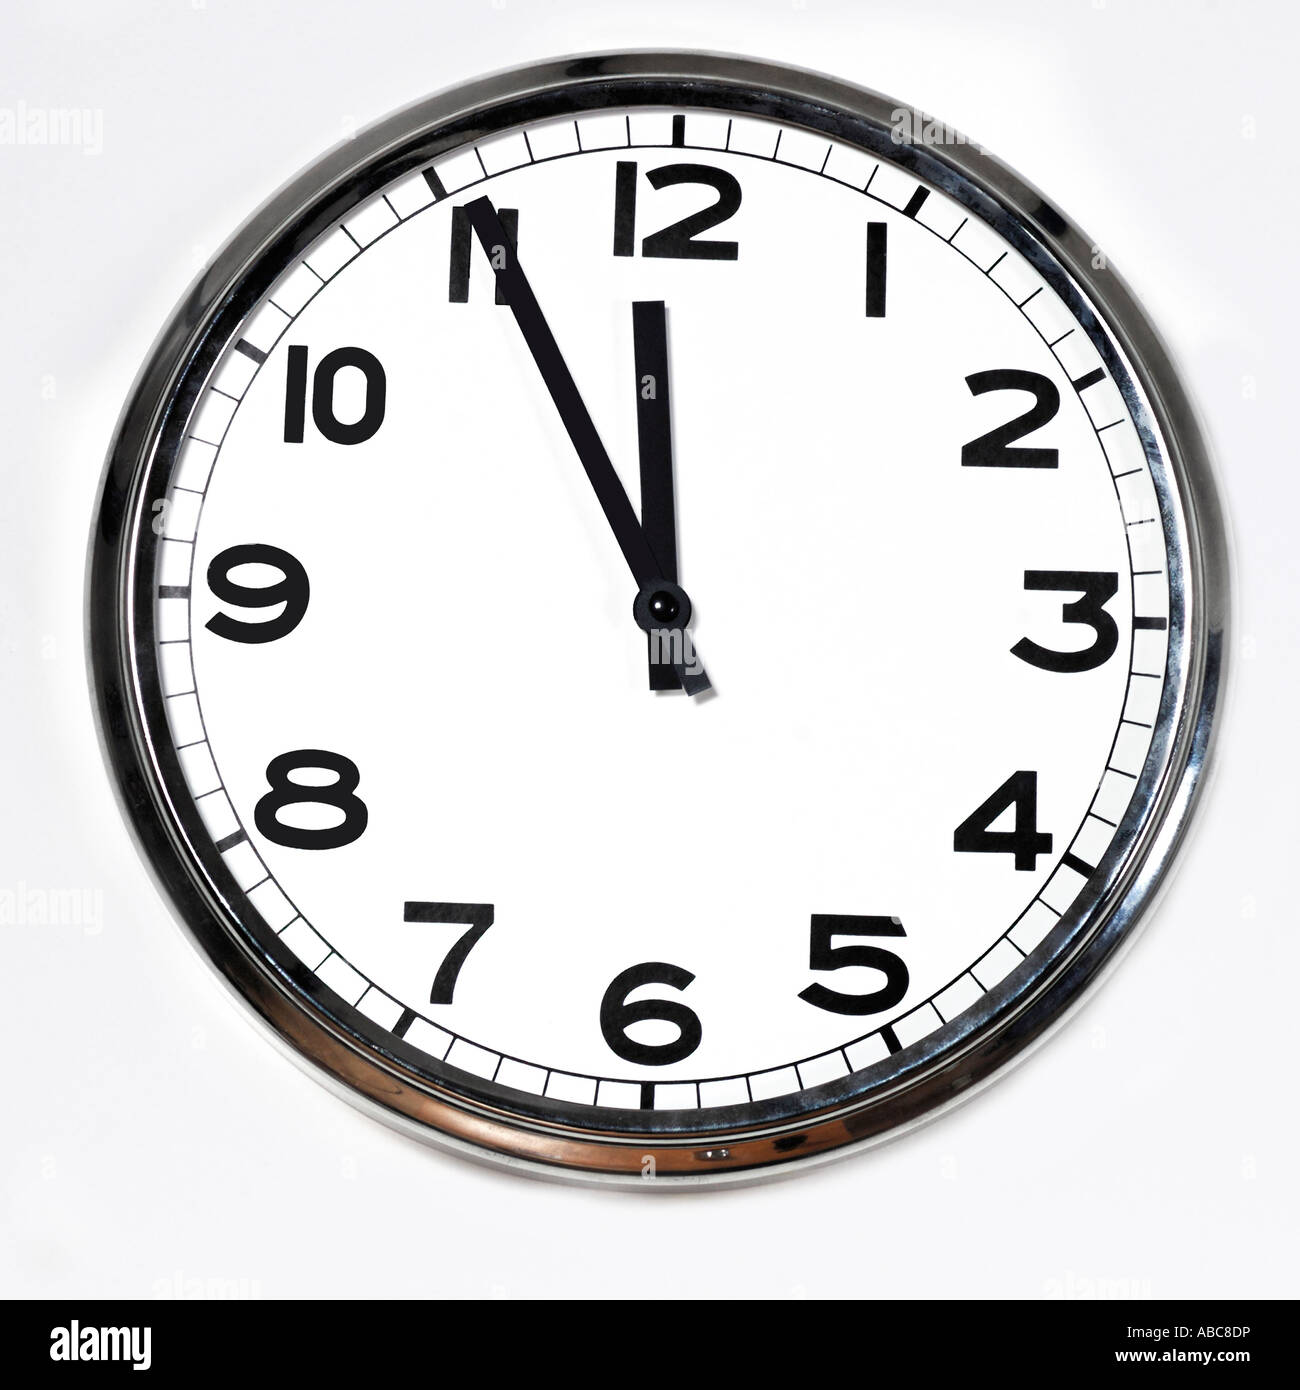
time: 11:55
